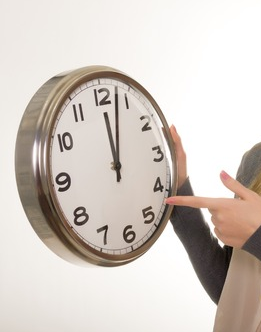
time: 12:02
